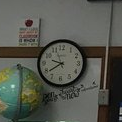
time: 9:39
